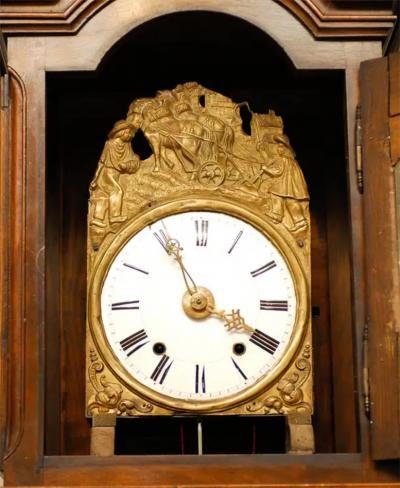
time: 3:55
